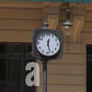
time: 12:27
